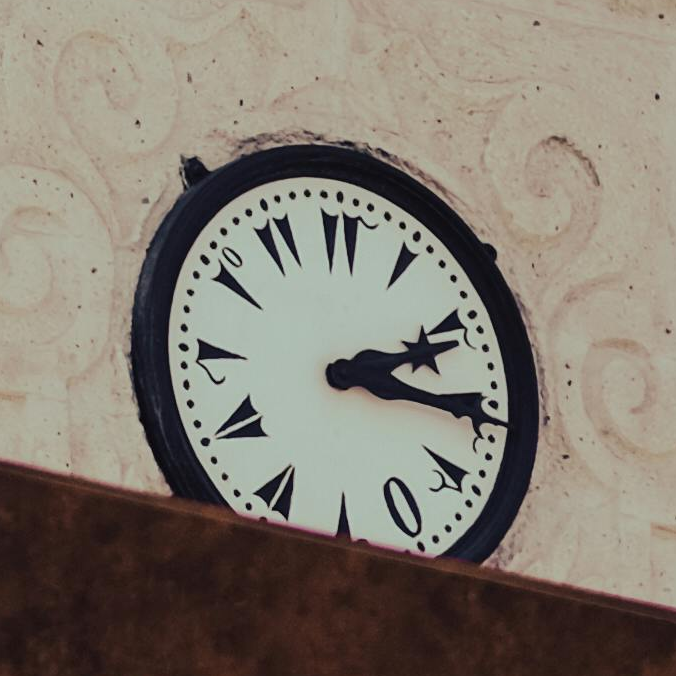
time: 2:15
